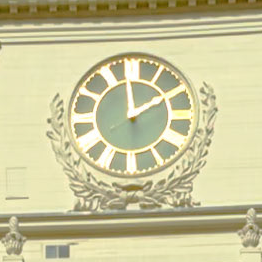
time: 1:59
